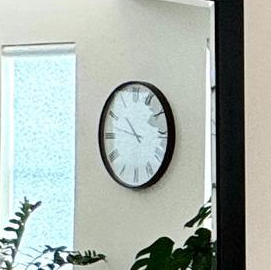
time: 10:47
